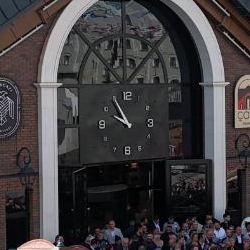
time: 9:54
